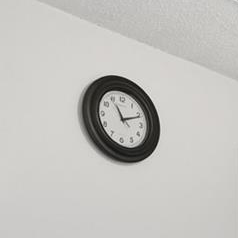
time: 11:11
